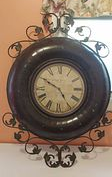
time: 4:50
